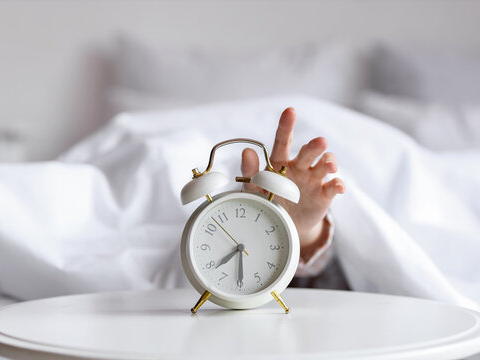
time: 7:29
